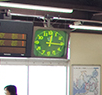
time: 12:15
